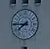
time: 7:44
